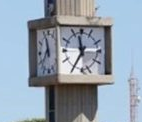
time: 11:35
